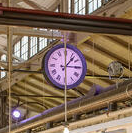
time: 1:14
